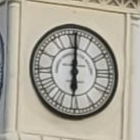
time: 6:00
